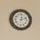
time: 12:11
